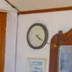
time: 4:20
